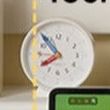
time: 7:52
